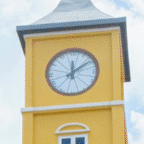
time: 12:09
